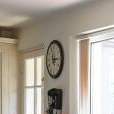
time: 12:14
